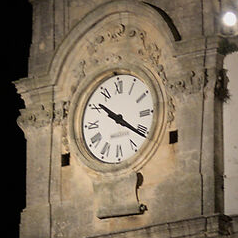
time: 10:21
